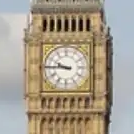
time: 9:45
